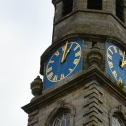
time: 1:02
